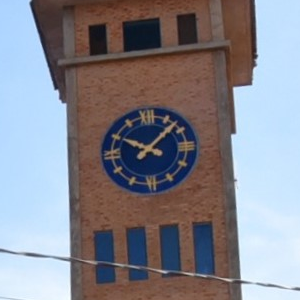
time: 10:07
